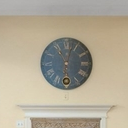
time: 11:02
